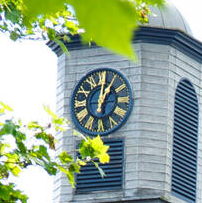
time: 1:01
